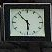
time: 5:53
